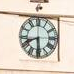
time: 8:29
